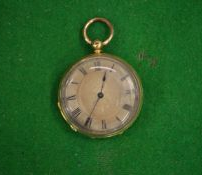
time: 12:35
